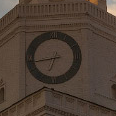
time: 6:43
